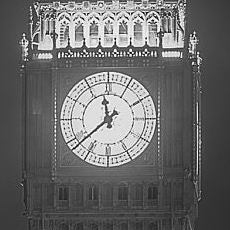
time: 11:38
